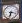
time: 3:32
